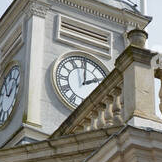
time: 2:00
